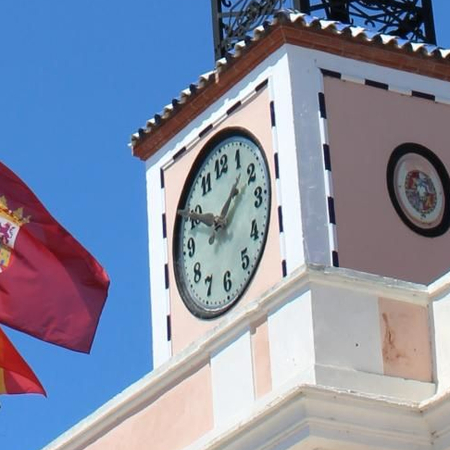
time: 1:49
